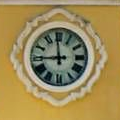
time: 11:44
